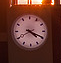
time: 4:19
